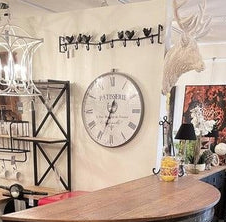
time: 12:33
